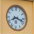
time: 8:17
